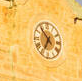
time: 6:53
